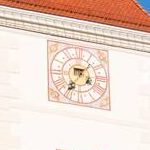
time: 9:36
